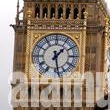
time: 1:28
